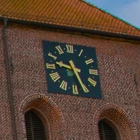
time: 9:26
